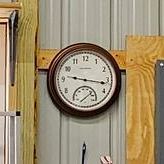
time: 9:16
